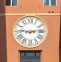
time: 9:13
